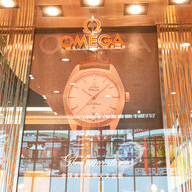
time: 10:07
